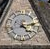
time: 4:12
